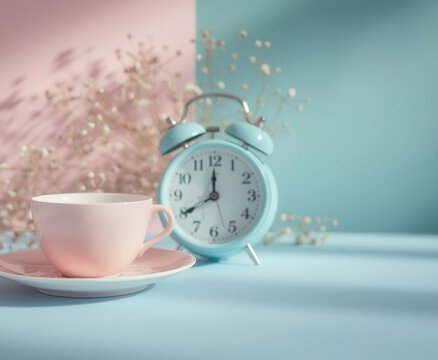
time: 11:40
